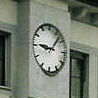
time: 9:07
